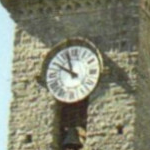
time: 9:57
